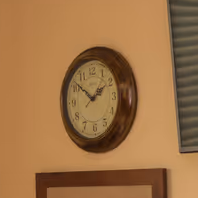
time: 1:51
